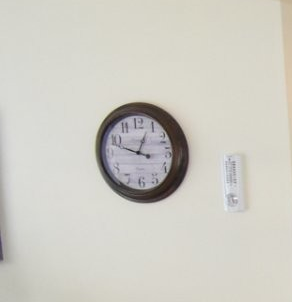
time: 12:47
